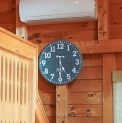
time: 5:30
